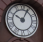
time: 10:04
